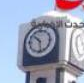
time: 10:28
